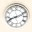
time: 8:11
